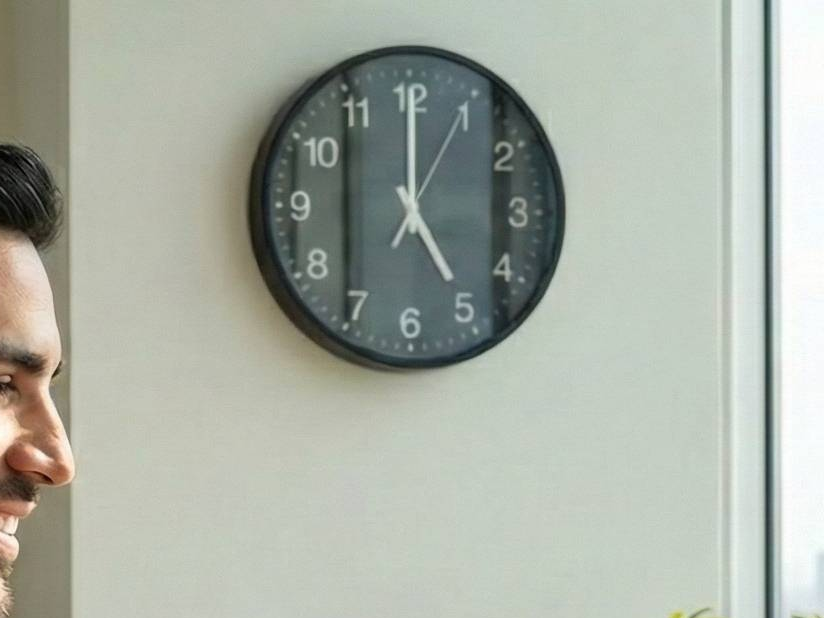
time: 5:00
